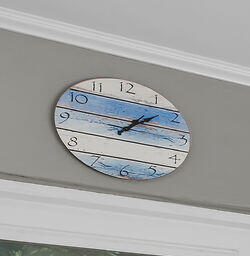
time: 1:08
